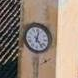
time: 12:23
